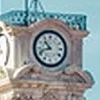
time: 10:42
